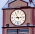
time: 11:14
